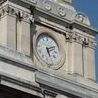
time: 5:10
